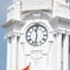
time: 11:32
